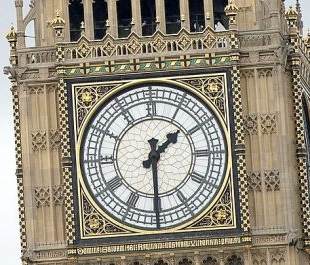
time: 1:30
